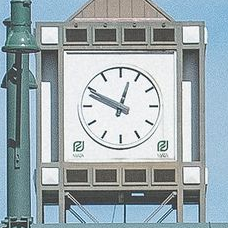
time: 12:49
